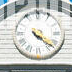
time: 4:21
